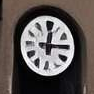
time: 12:14
